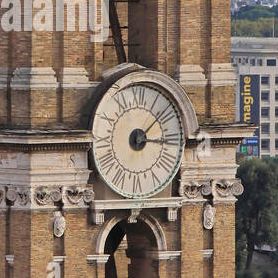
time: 3:08
